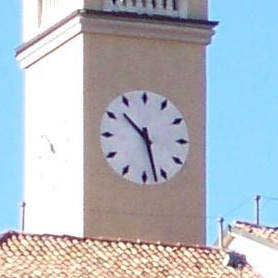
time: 10:27
